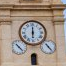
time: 6:00
